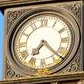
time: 7:22
